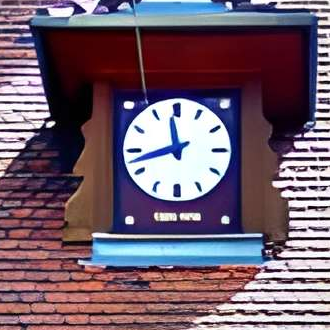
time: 11:42
